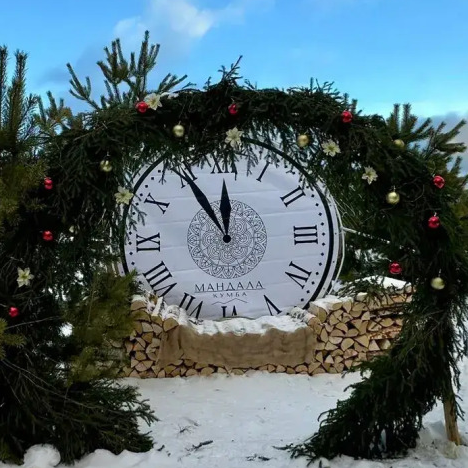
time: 11:54
